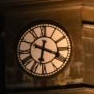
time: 6:18
